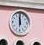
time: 12:00
